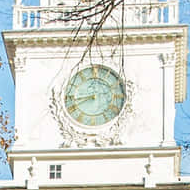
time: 8:40
